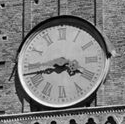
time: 3:43
